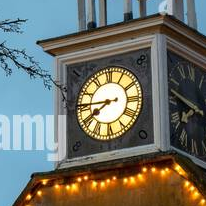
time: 7:45
